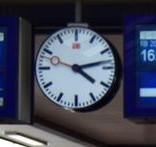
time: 4:12
